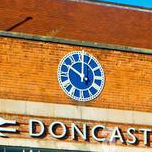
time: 10:00
